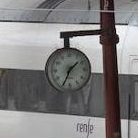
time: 1:34
